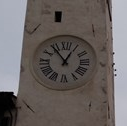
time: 12:53
